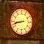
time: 8:42
